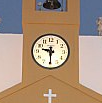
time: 9:29
